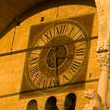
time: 5:28
